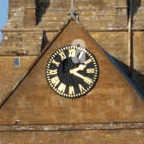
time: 2:19
